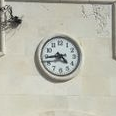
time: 4:44
